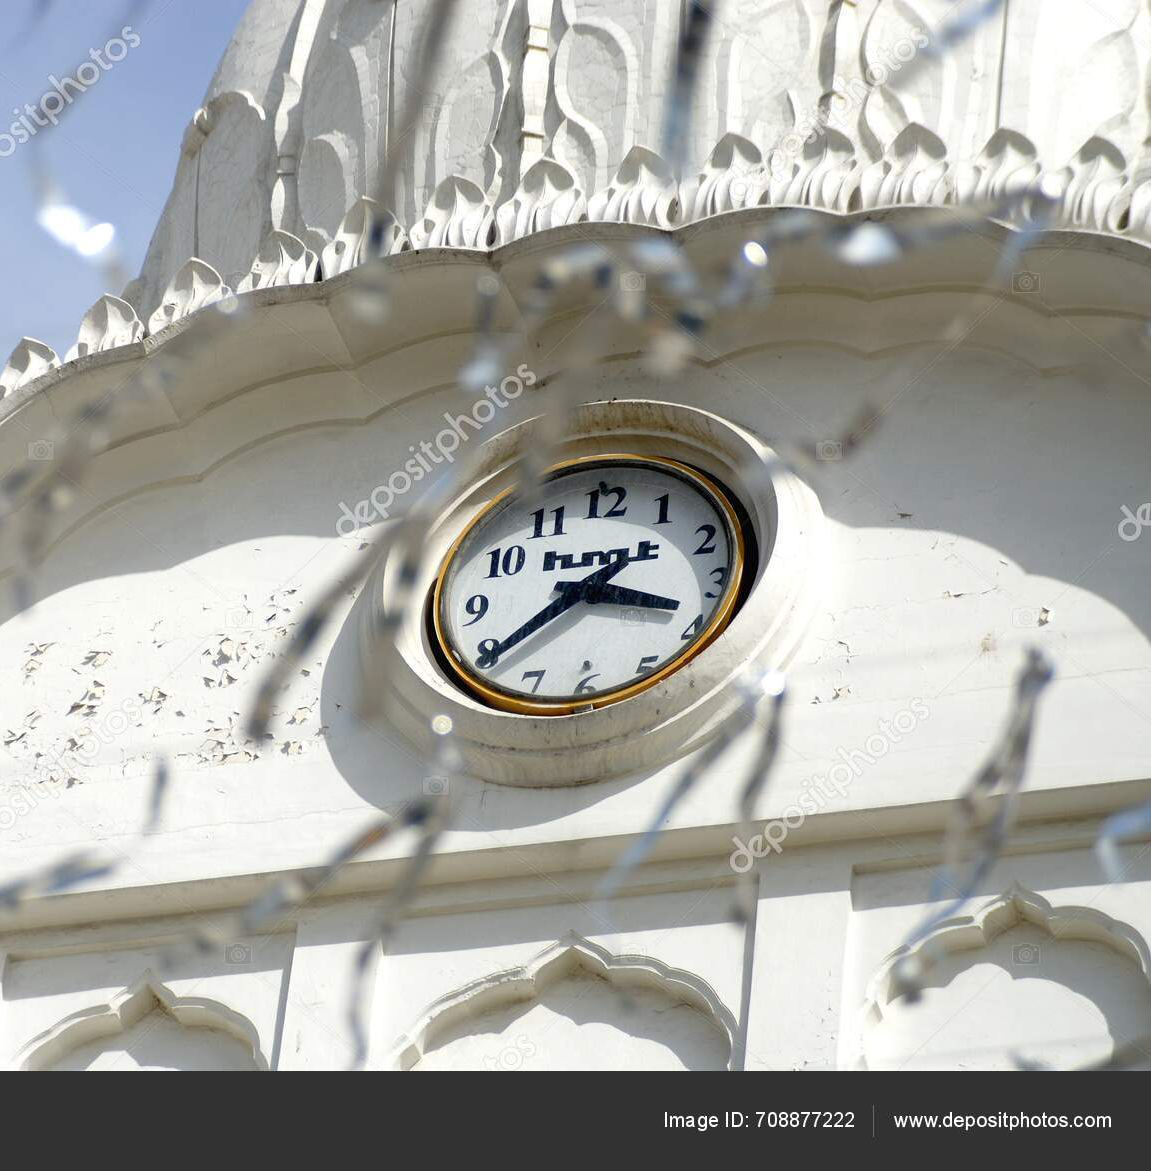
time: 3:38
